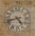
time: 4:42
